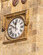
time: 11:49
